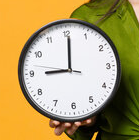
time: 9:00
